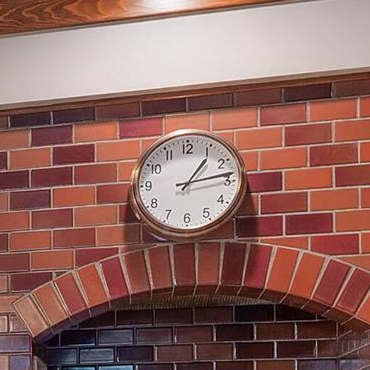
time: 1:13
